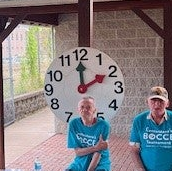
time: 1:59
